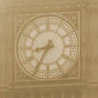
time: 8:35
